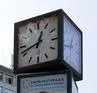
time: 12:41
